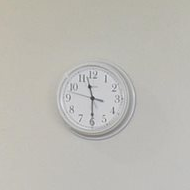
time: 11:30
